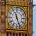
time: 11:26
